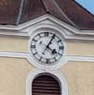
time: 4:04
